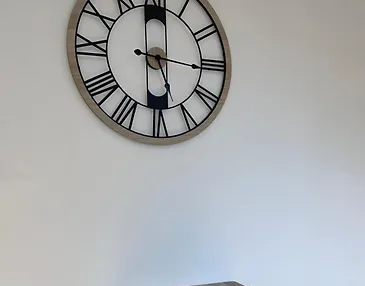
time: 5:15
